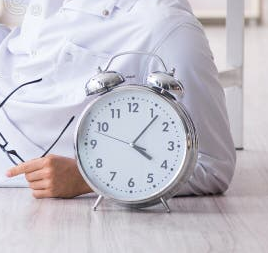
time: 4:06
